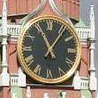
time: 11:06
